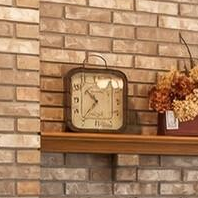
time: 10:36
